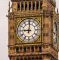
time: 9:01
